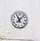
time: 11:07
